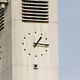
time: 1:16
